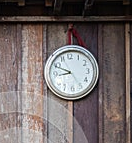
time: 8:49
